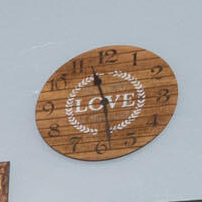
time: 11:28
